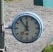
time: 11:53
